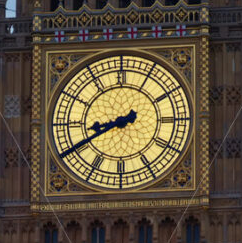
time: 8:40
